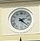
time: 2:21
